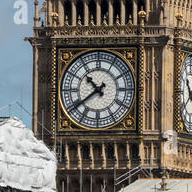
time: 10:39
